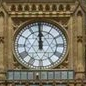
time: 11:59
